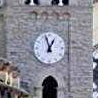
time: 12:57
